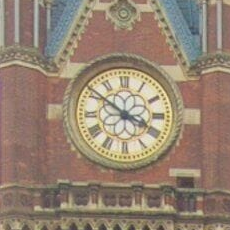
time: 3:51
